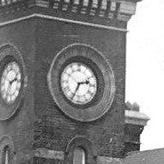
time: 2:34
